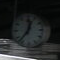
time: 12:37
